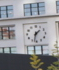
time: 1:32
